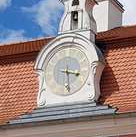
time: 3:28
